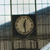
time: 12:28
